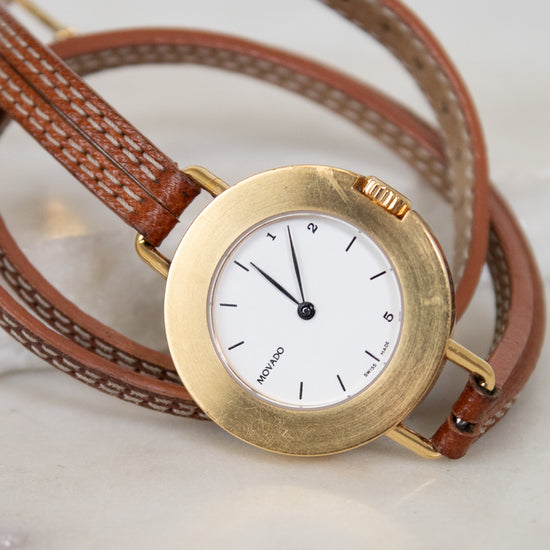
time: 9:57
